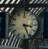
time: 3:26
